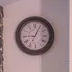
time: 9:04
